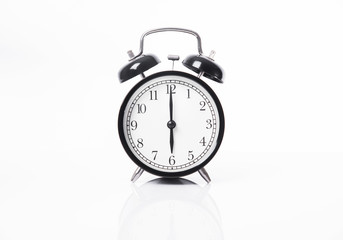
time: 6:00
